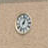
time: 1:02
